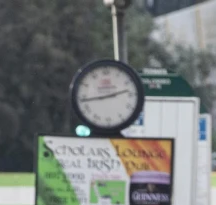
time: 2:43
